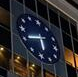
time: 5:41
